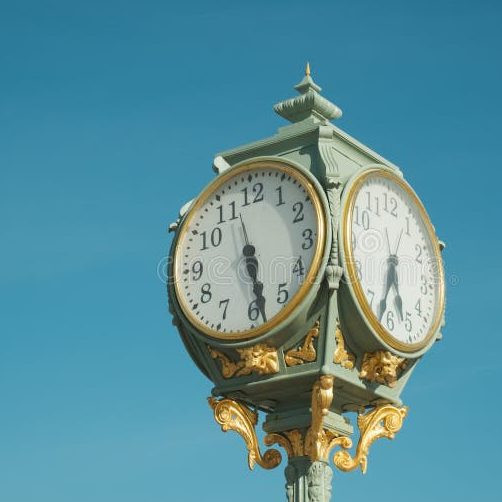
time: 5:28
